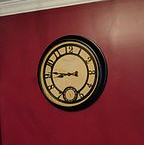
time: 8:45
